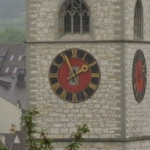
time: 1:56
